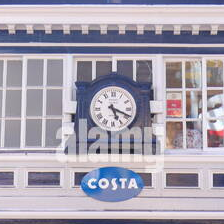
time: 5:18
